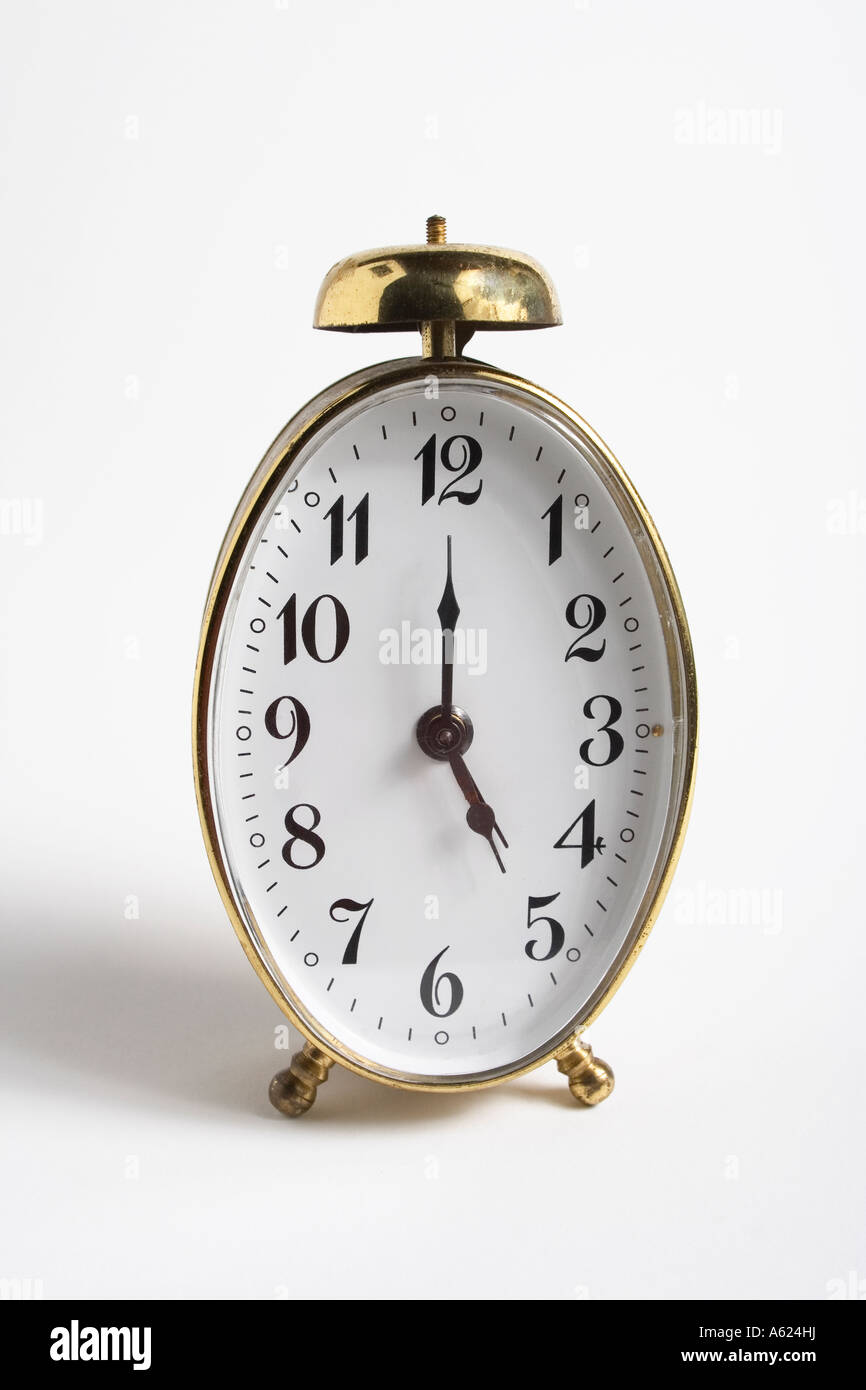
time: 5:00
